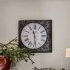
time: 11:28
